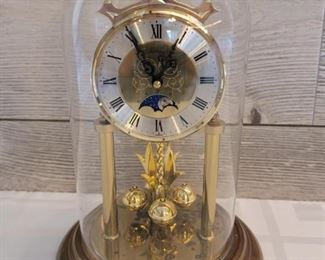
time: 12:55
